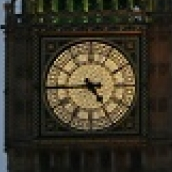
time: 4:44
